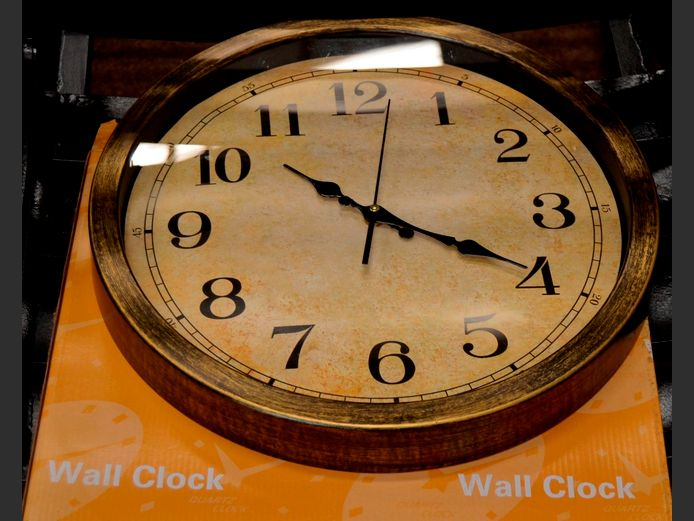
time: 10:19
